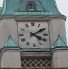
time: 4:09
